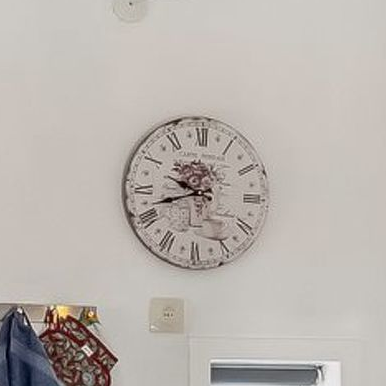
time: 9:42
